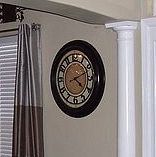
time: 4:11
